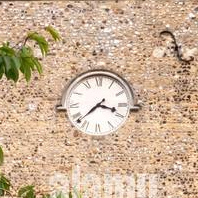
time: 3:37
